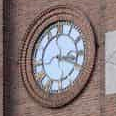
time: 3:18
